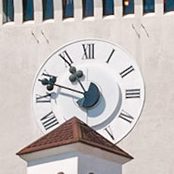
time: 10:48
